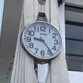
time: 9:23
